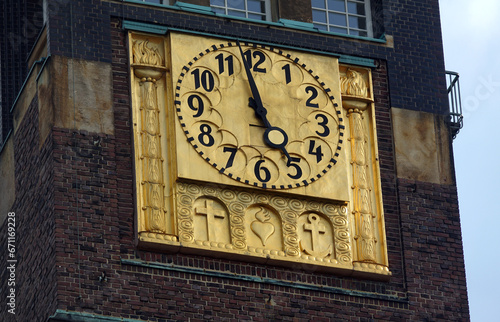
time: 4:58
